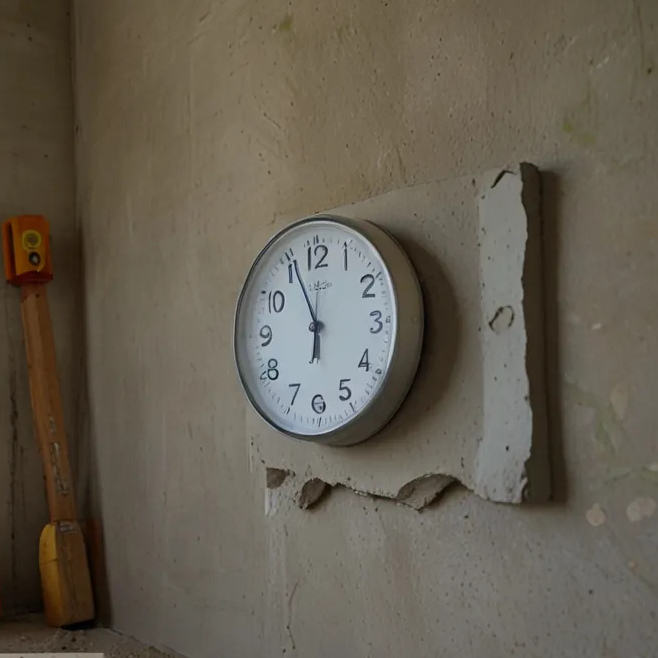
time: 5:55
